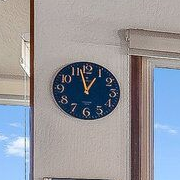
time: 12:57
